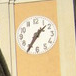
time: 1:35
